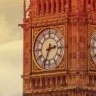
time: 2:33
